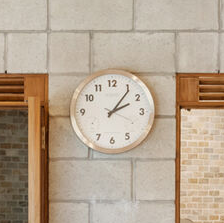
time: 2:06
